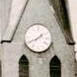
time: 1:40
